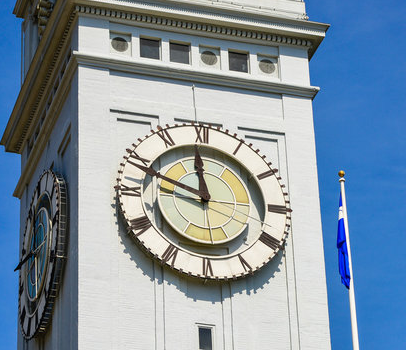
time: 11:48
